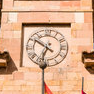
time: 6:50
